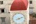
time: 8:11
